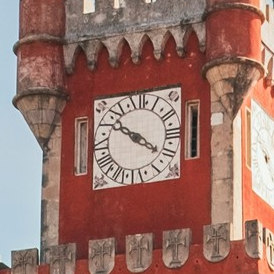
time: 10:20
